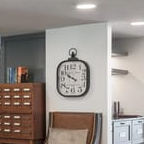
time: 9:50
